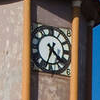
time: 4:34
